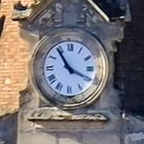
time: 3:54
